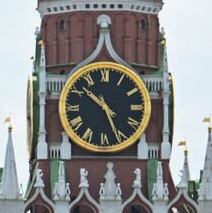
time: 10:26
